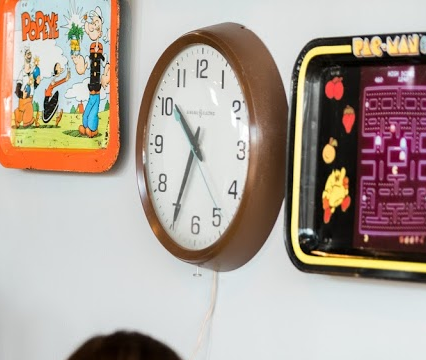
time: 10:34
